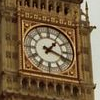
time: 1:18
